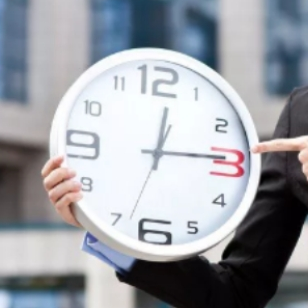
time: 12:14
